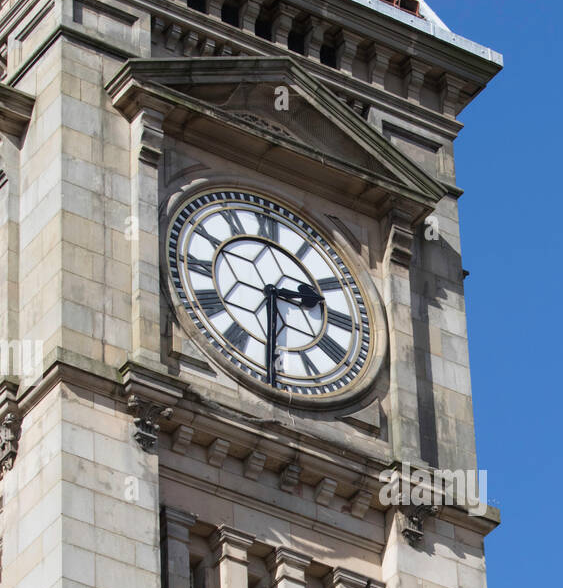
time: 2:30
